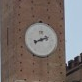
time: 8:11
